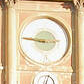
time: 2:46
